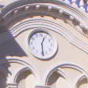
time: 12:28
